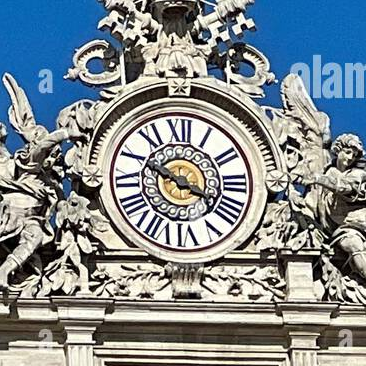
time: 3:49
